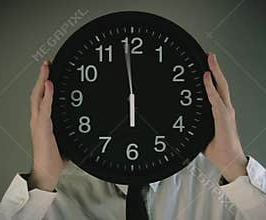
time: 5:59
